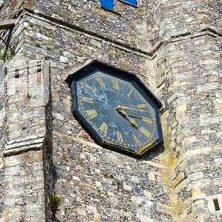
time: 4:14
